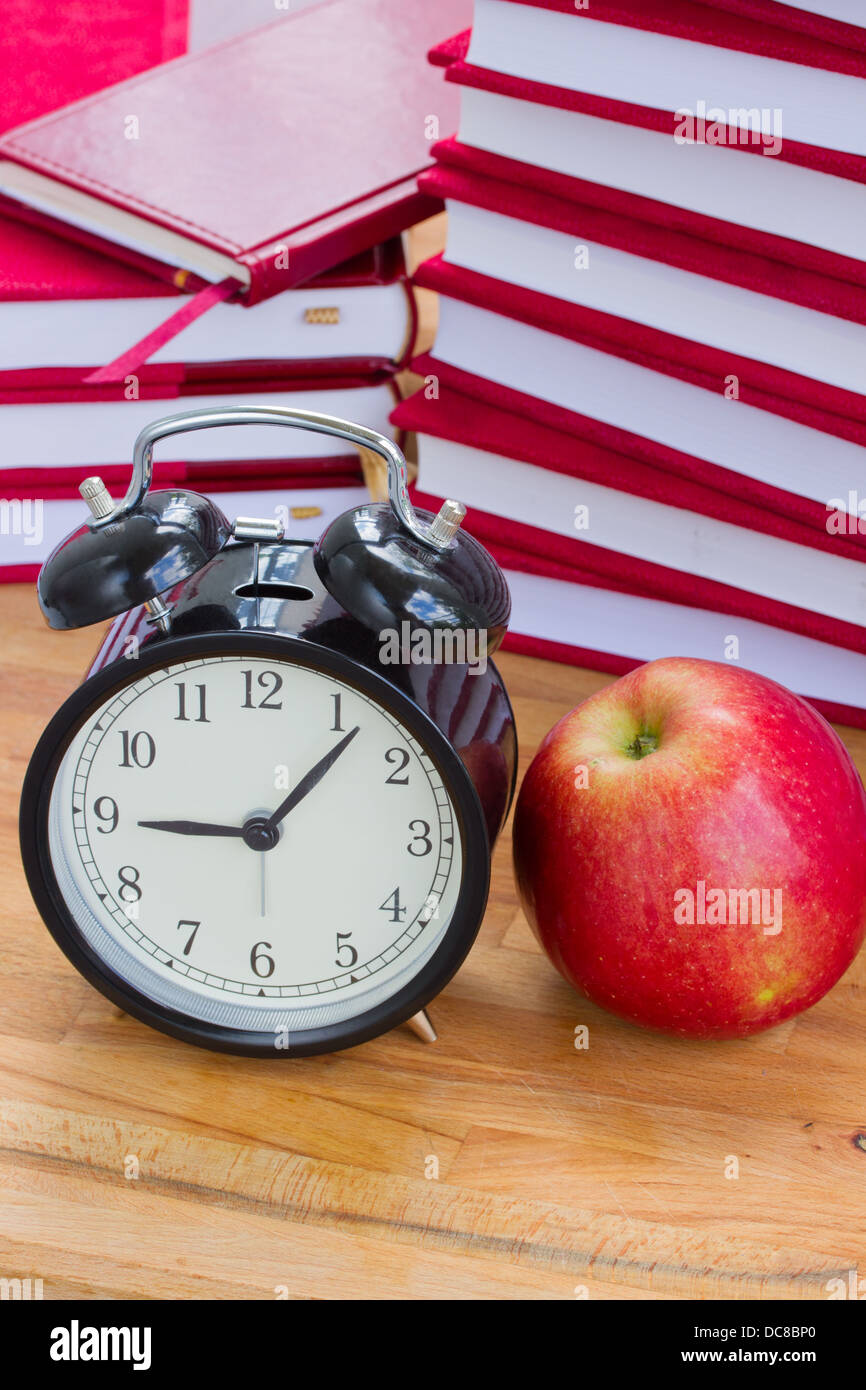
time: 9:07
